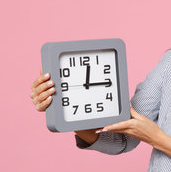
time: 12:14
